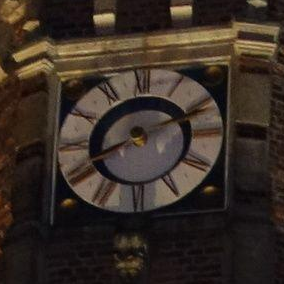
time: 8:11
